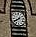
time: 1:40
